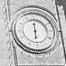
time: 6:00
